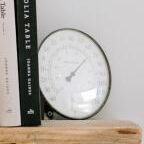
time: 7:07
